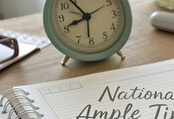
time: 10:41
